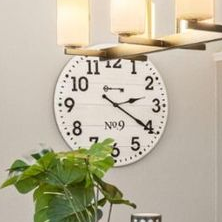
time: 2:20
